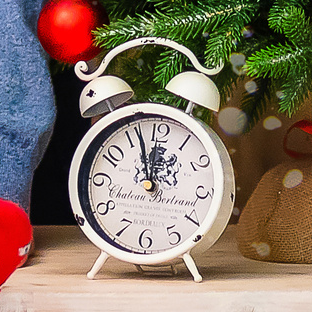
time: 11:56
